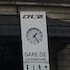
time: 1:23
